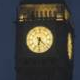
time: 6:22
